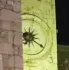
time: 7:20
